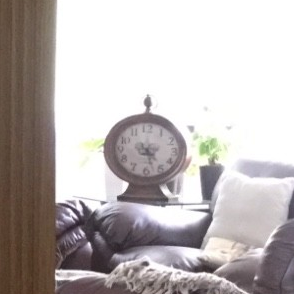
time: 4:26
